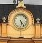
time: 5:23
